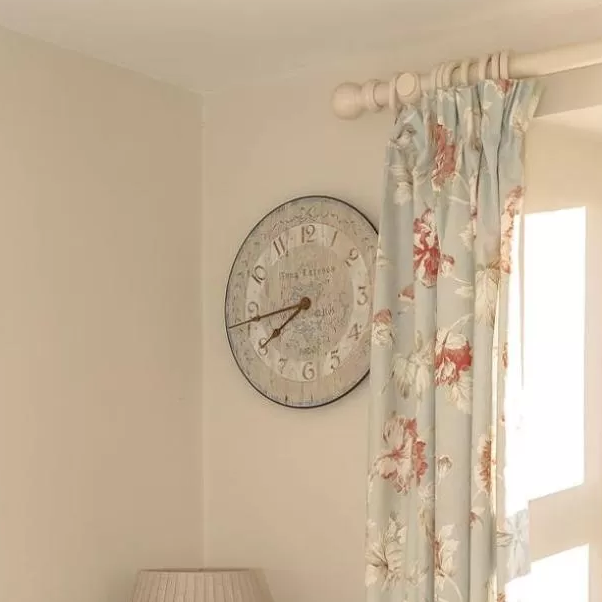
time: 7:43
